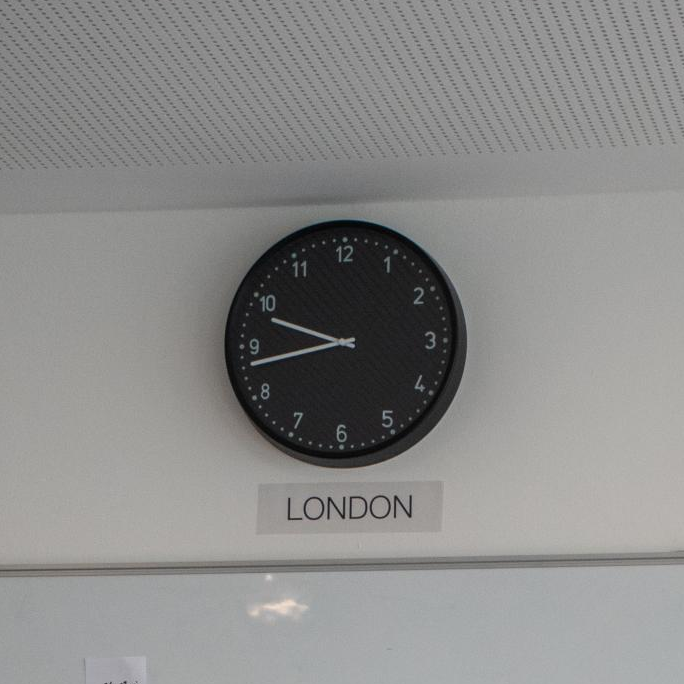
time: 9:43
